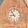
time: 8:54
